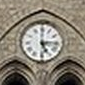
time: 5:15
